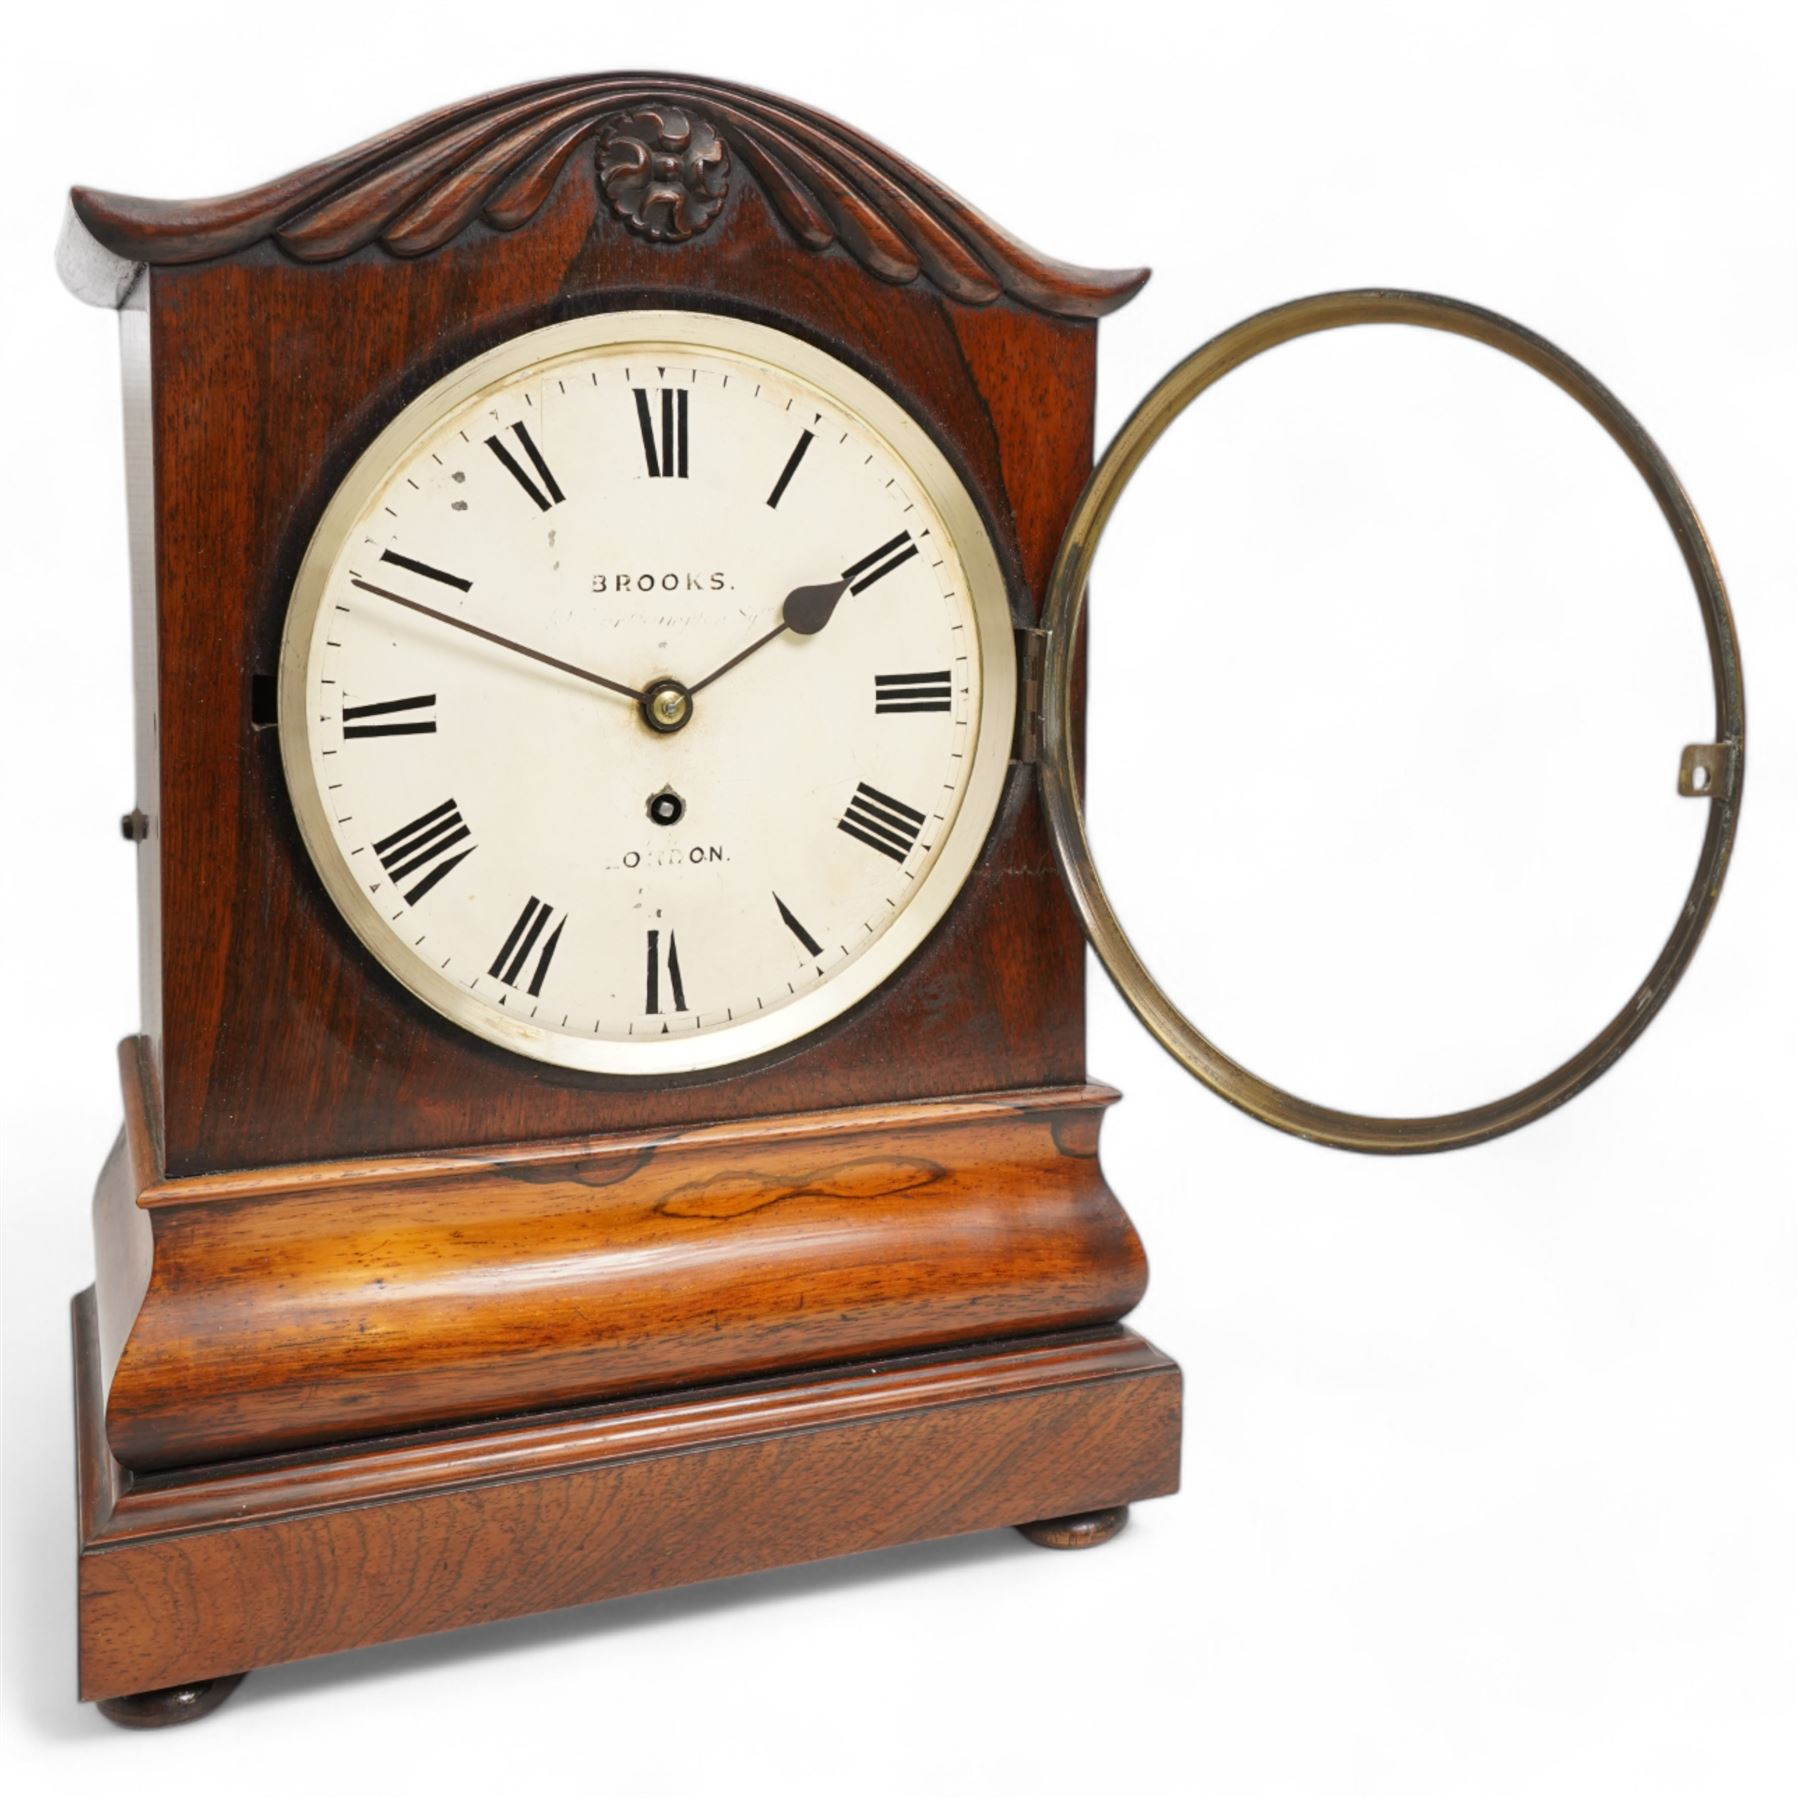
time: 1:49
